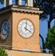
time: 4:01
